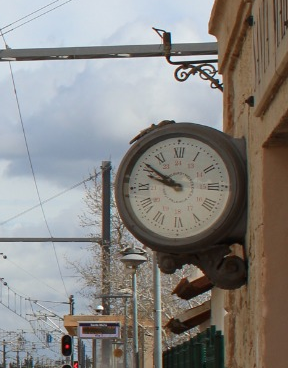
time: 9:51
